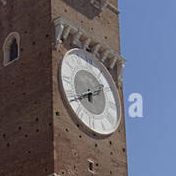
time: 1:40
